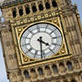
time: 4:31
